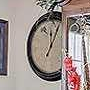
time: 12:04
